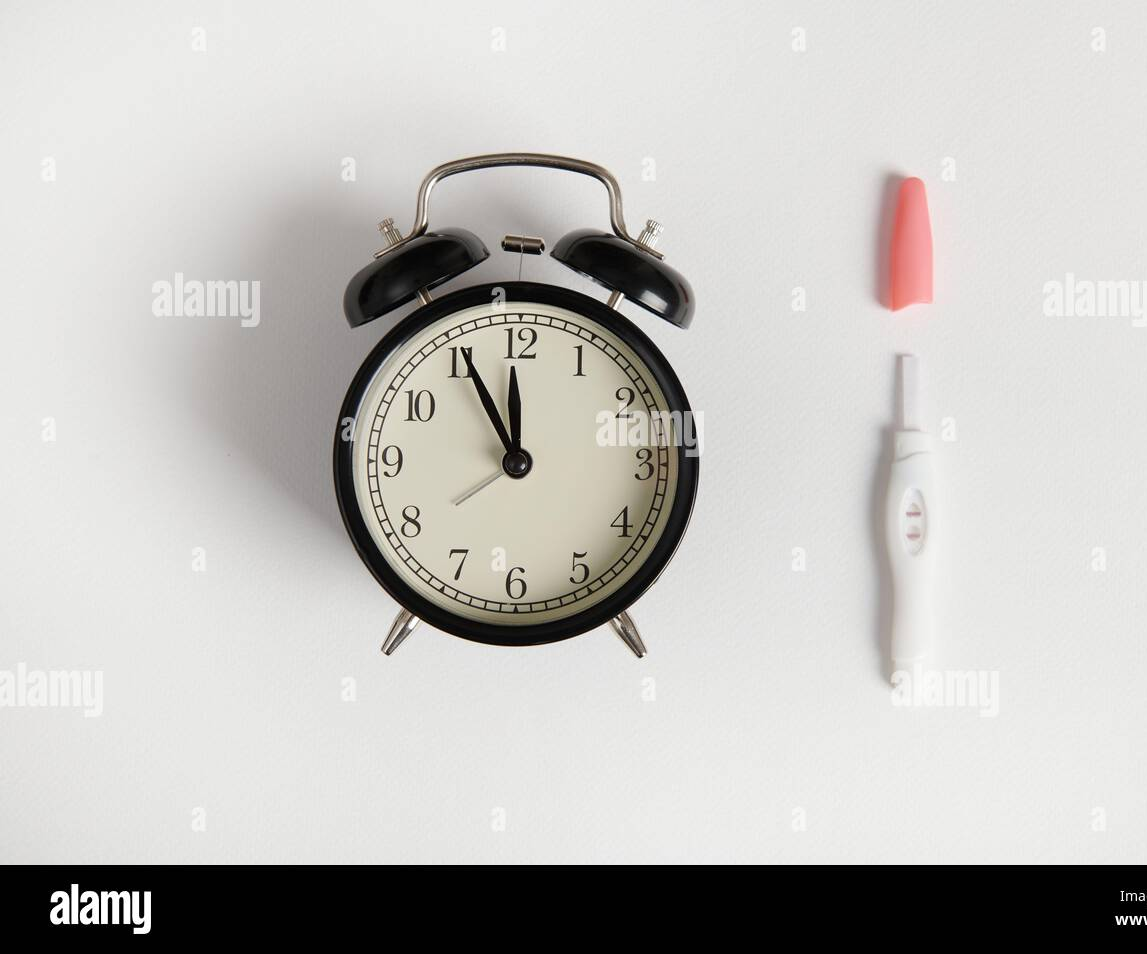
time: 11:55
